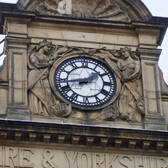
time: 1:43
